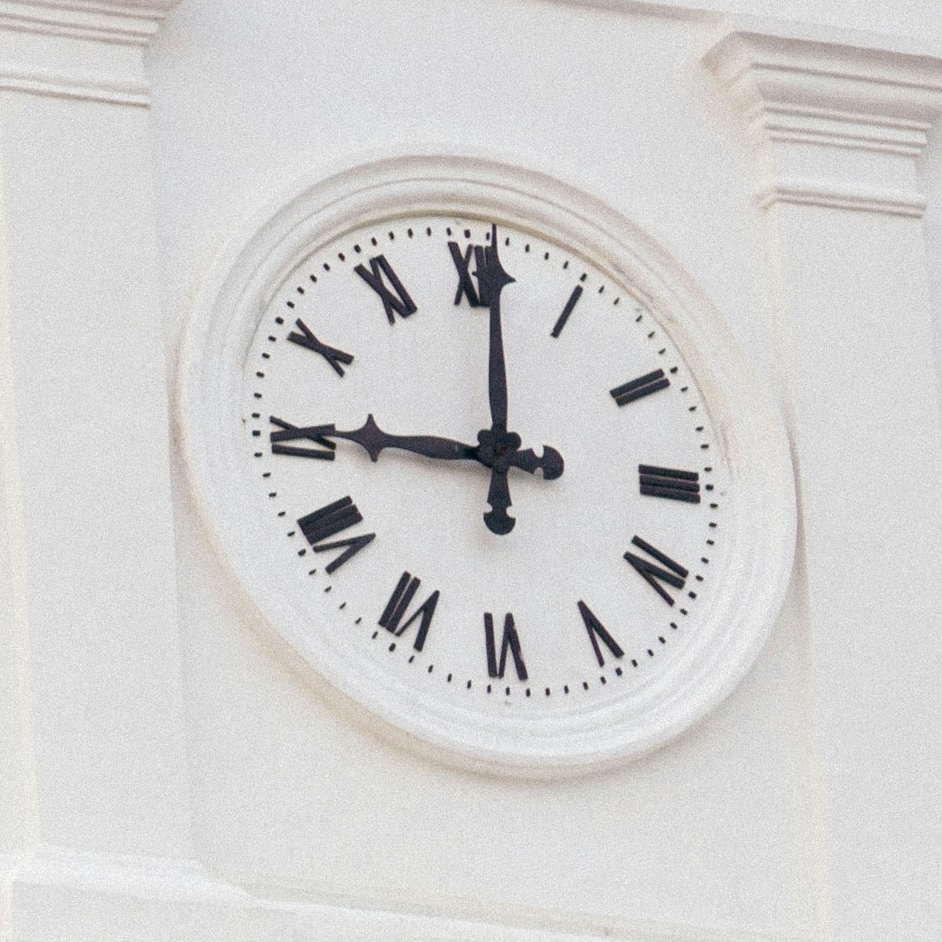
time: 9:00
